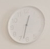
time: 12:32
